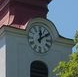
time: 12:09
